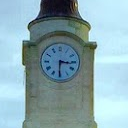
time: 3:30
